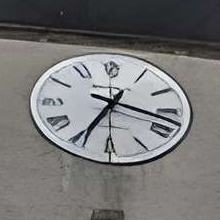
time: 3:34
